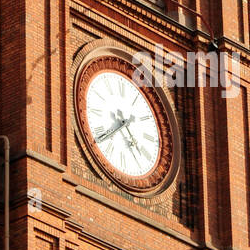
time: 4:38
